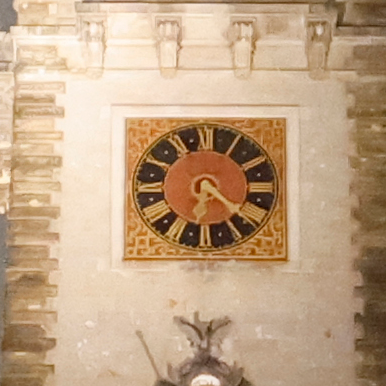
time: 4:21
